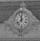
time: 11:37
